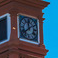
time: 11:38
